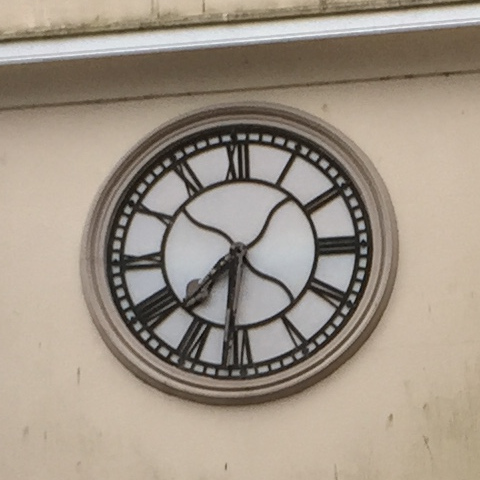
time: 7:31
